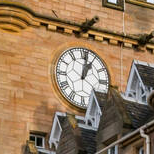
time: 1:01
